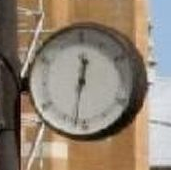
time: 12:32
